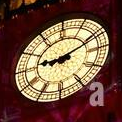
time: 9:11
